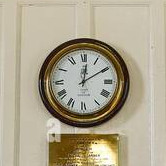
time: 12:09
